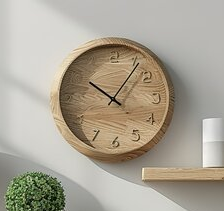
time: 10:06
